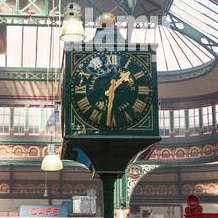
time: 1:32
